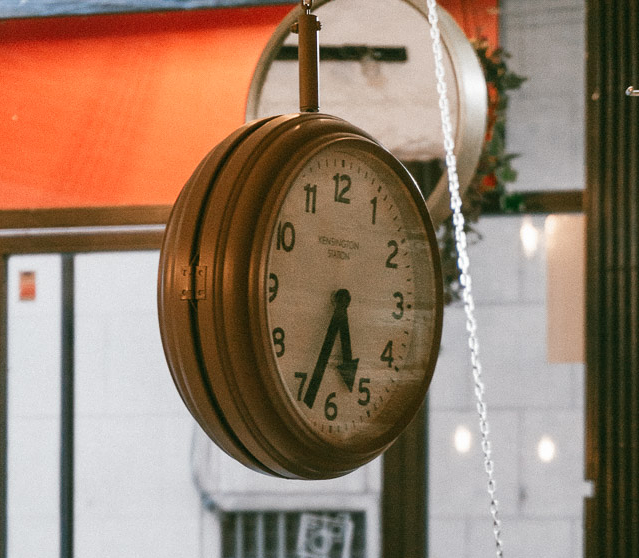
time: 5:33
